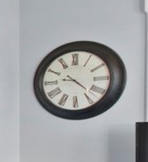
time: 9:22
